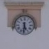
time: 5:31
